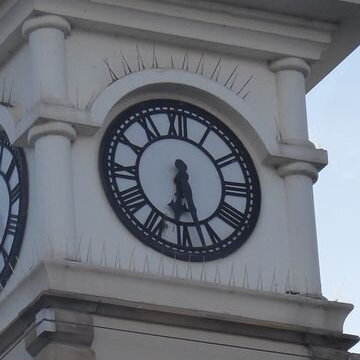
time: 5:31
